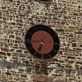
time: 6:44
